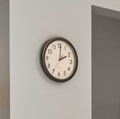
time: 2:00
